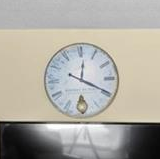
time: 12:19
